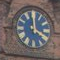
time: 4:00
